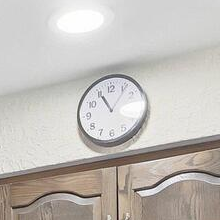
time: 11:06
